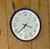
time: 3:38
